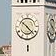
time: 10:22
